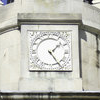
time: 1:24
